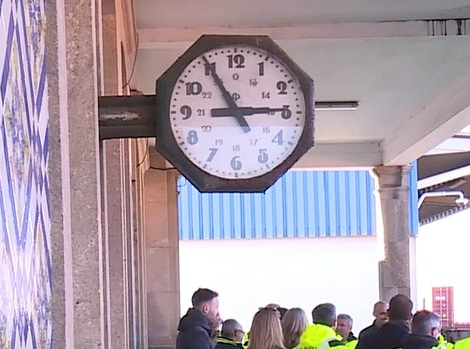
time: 2:54
